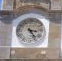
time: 3:24
